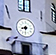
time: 8:31
